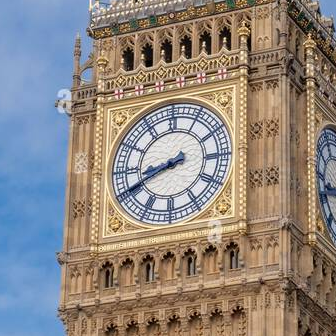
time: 8:41
